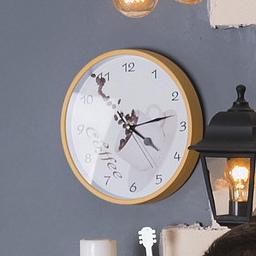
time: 4:12
